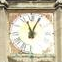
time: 11:04
